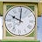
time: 10:00
